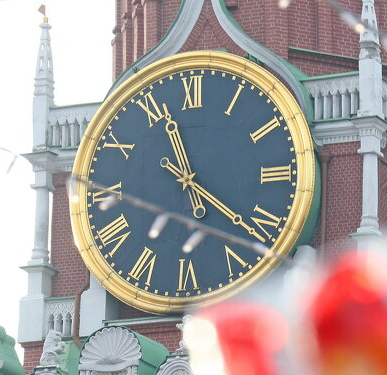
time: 11:21
